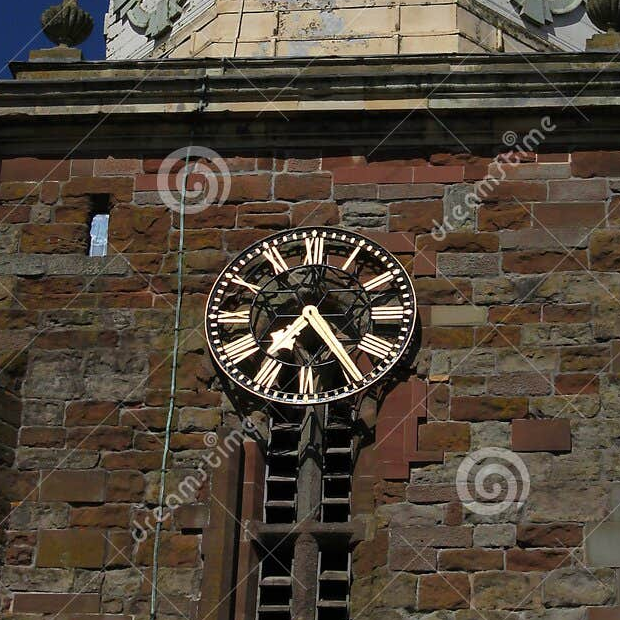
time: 7:24
